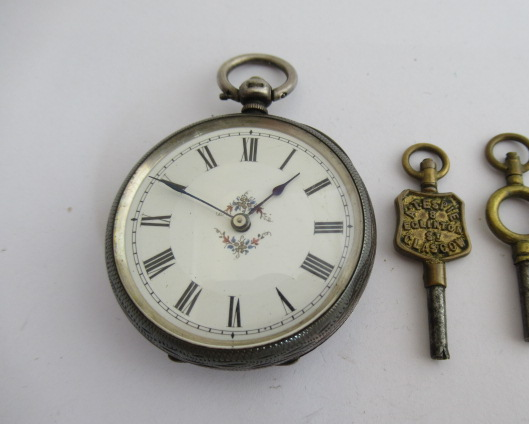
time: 1:49
